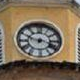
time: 3:48
